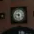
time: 9:28
